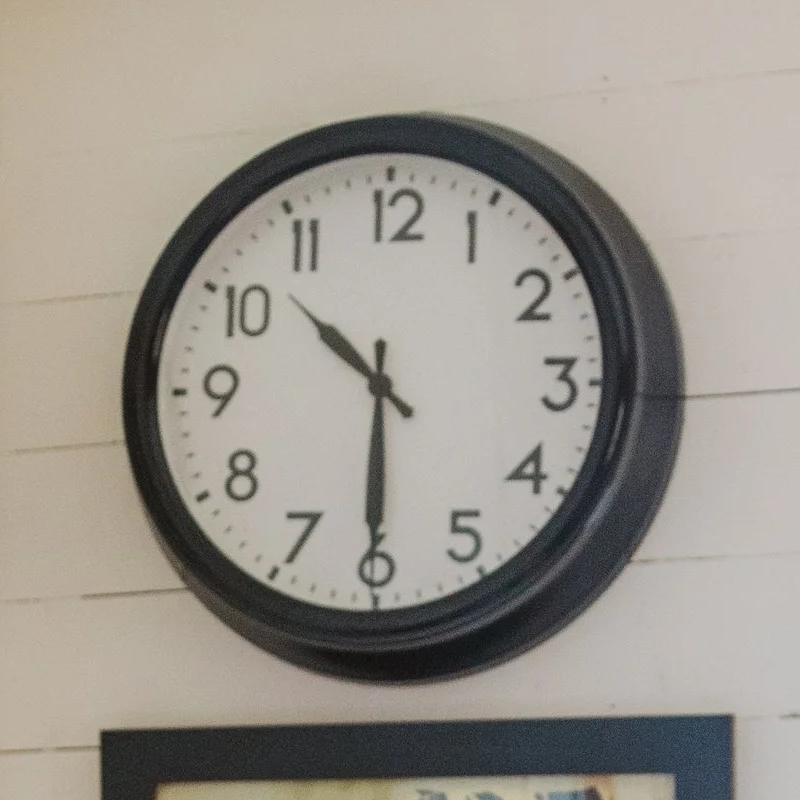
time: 10:30
